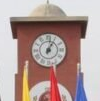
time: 1:02
